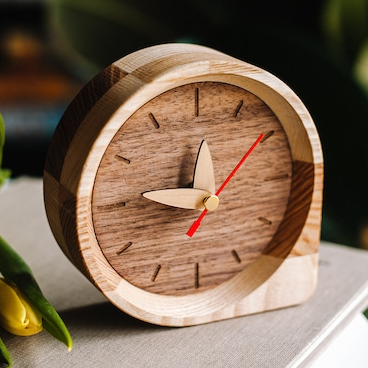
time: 11:46
